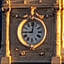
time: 9:01
